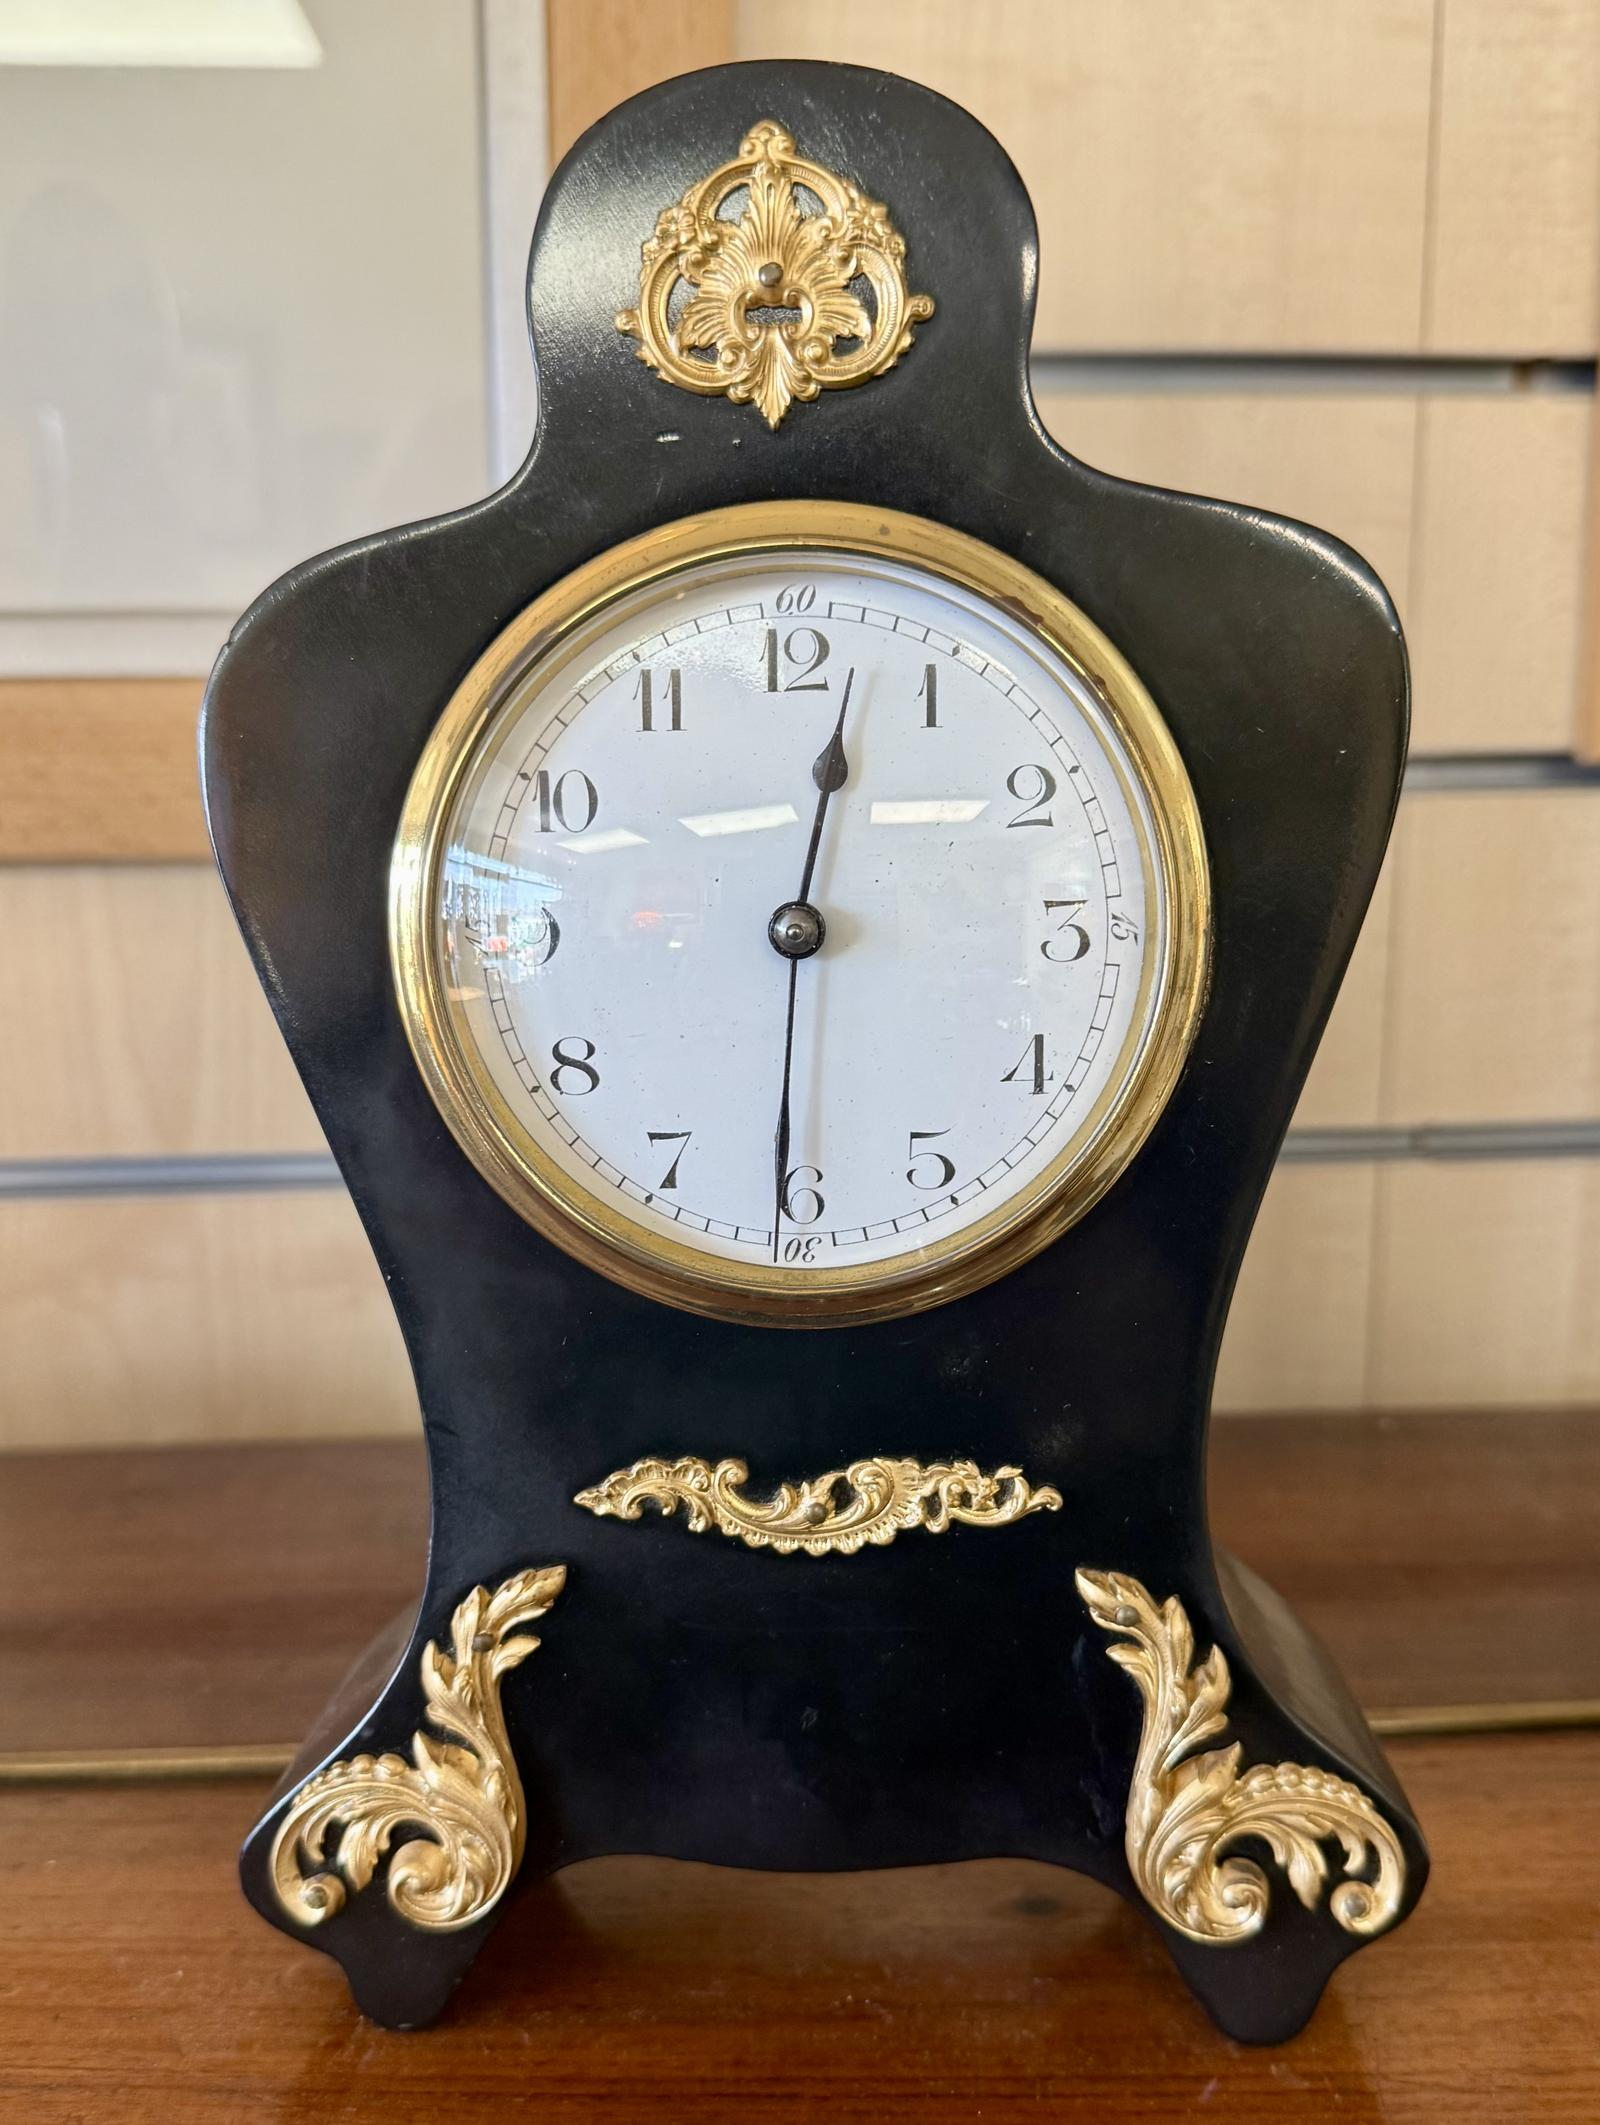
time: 12:30
